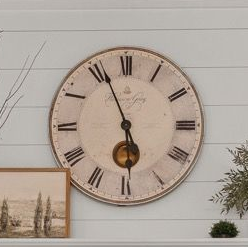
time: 5:55
